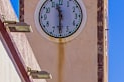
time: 11:30
